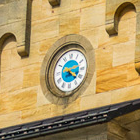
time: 4:12
